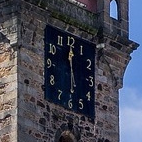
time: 5:59
